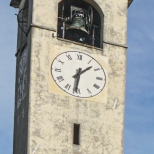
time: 1:31
